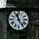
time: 11:24
